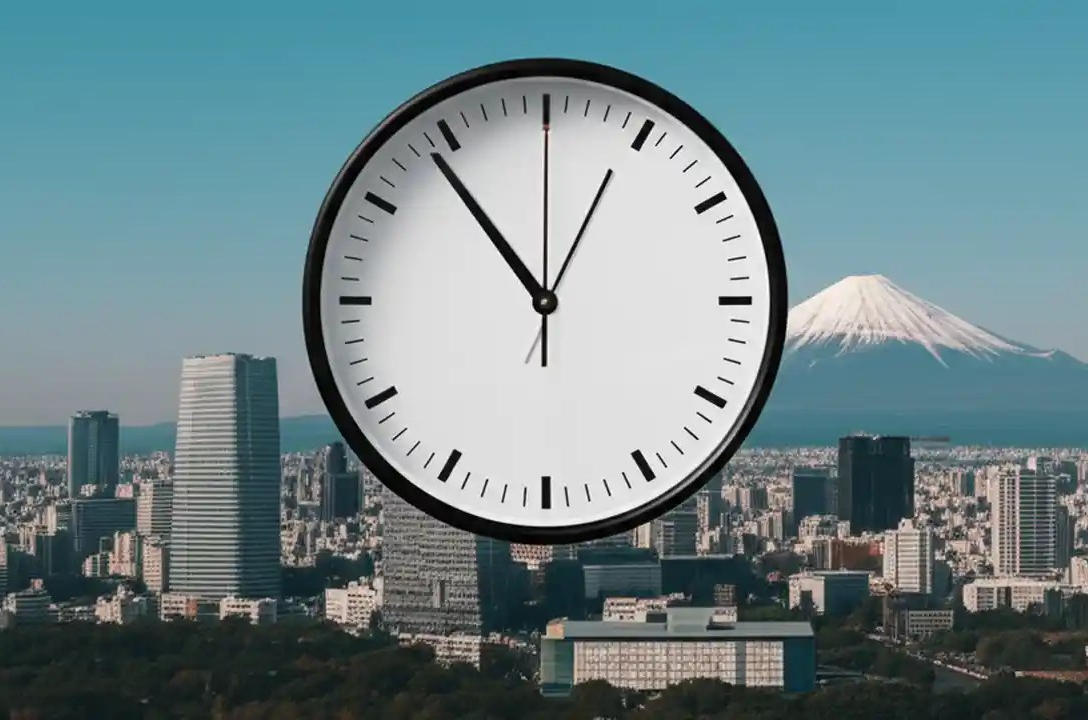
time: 12:53
